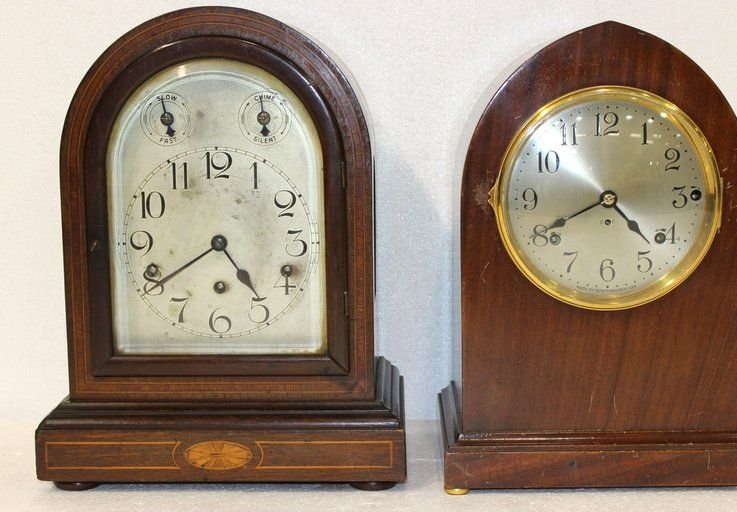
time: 4:40
